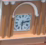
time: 6:13
